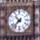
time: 10:37
